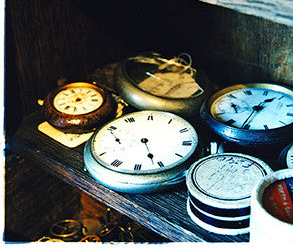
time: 5:26
